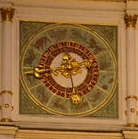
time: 5:42
